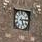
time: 5:14
